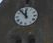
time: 11:53
